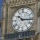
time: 10:15
